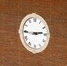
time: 2:45
